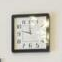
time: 11:47
